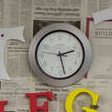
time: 2:28
